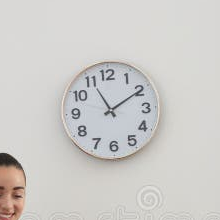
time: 11:09
